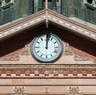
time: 12:01
